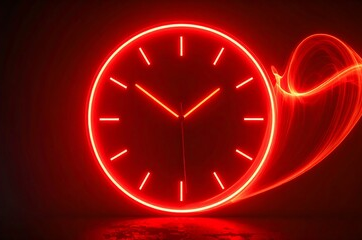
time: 1:51
